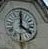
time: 4:00
